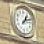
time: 1:11
